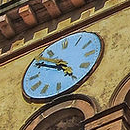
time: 4:50
